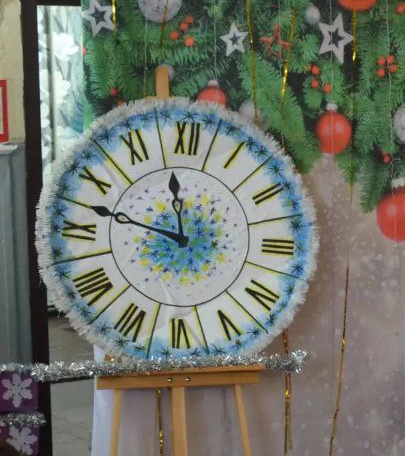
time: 11:47
